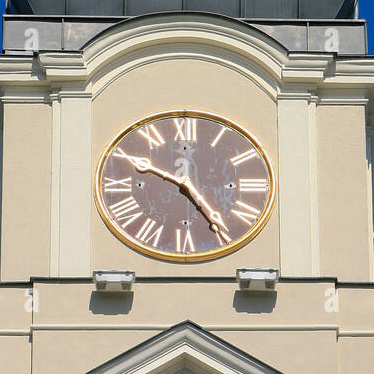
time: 4:49
